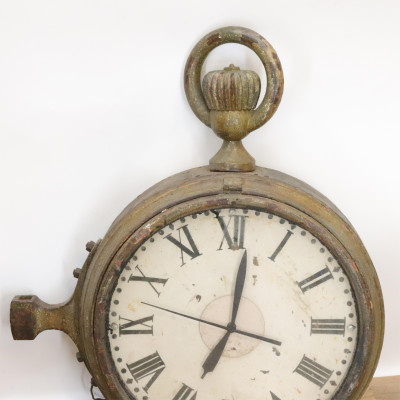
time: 7:01
